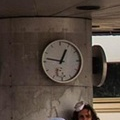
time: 12:46
